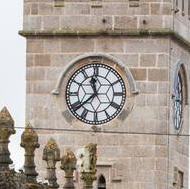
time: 11:38
